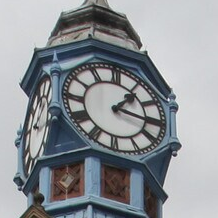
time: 1:16
